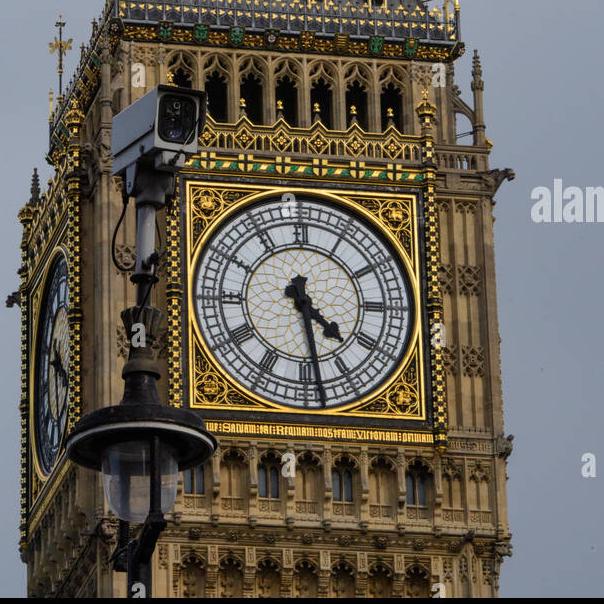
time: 4:28
